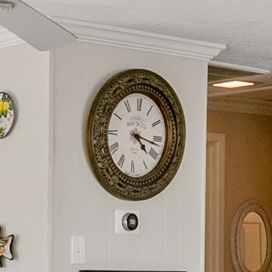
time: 4:17
